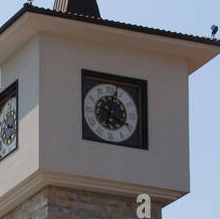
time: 4:02
